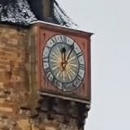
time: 12:05
